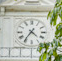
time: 4:35
